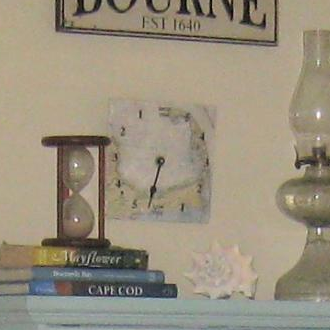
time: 6:32
